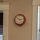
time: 2:52
